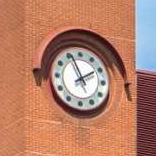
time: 1:56
